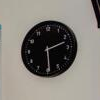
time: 2:29
